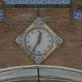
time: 12:35
